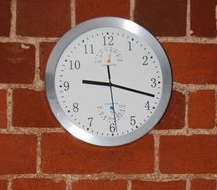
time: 9:17
